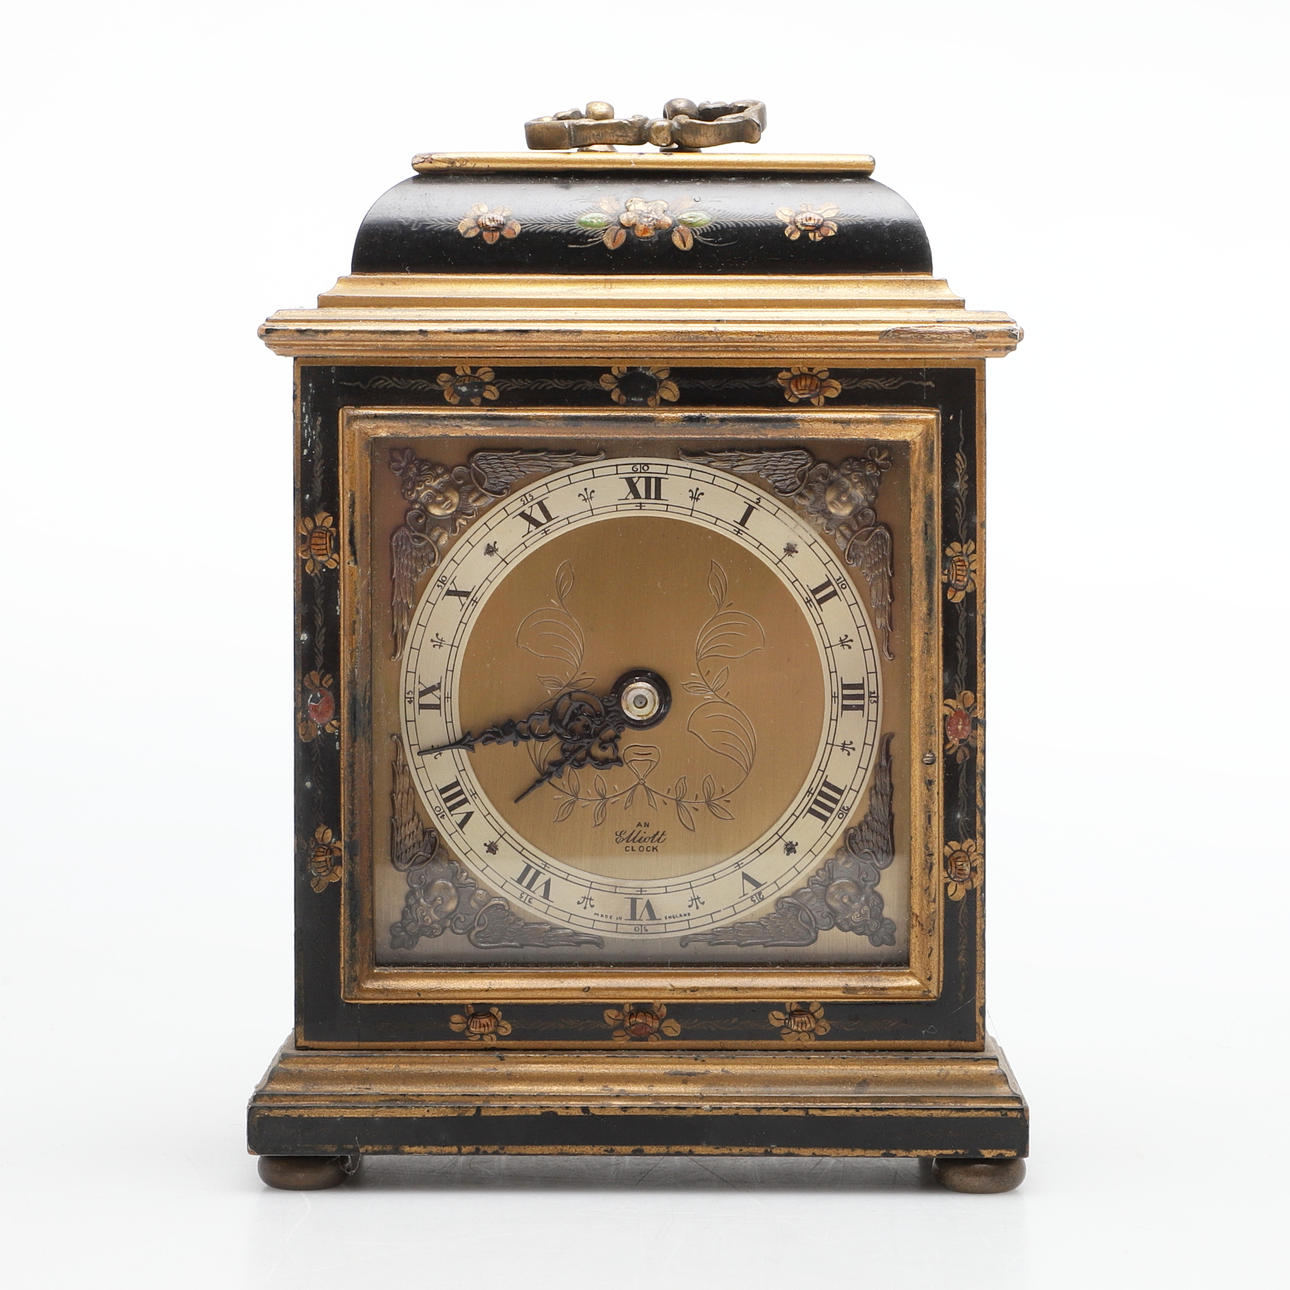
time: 7:43
